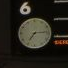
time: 7:14
